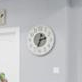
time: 2:33
